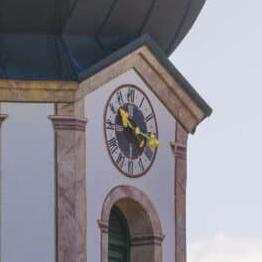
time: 10:17
